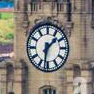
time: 1:32
